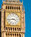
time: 3:43
